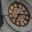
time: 7:14
